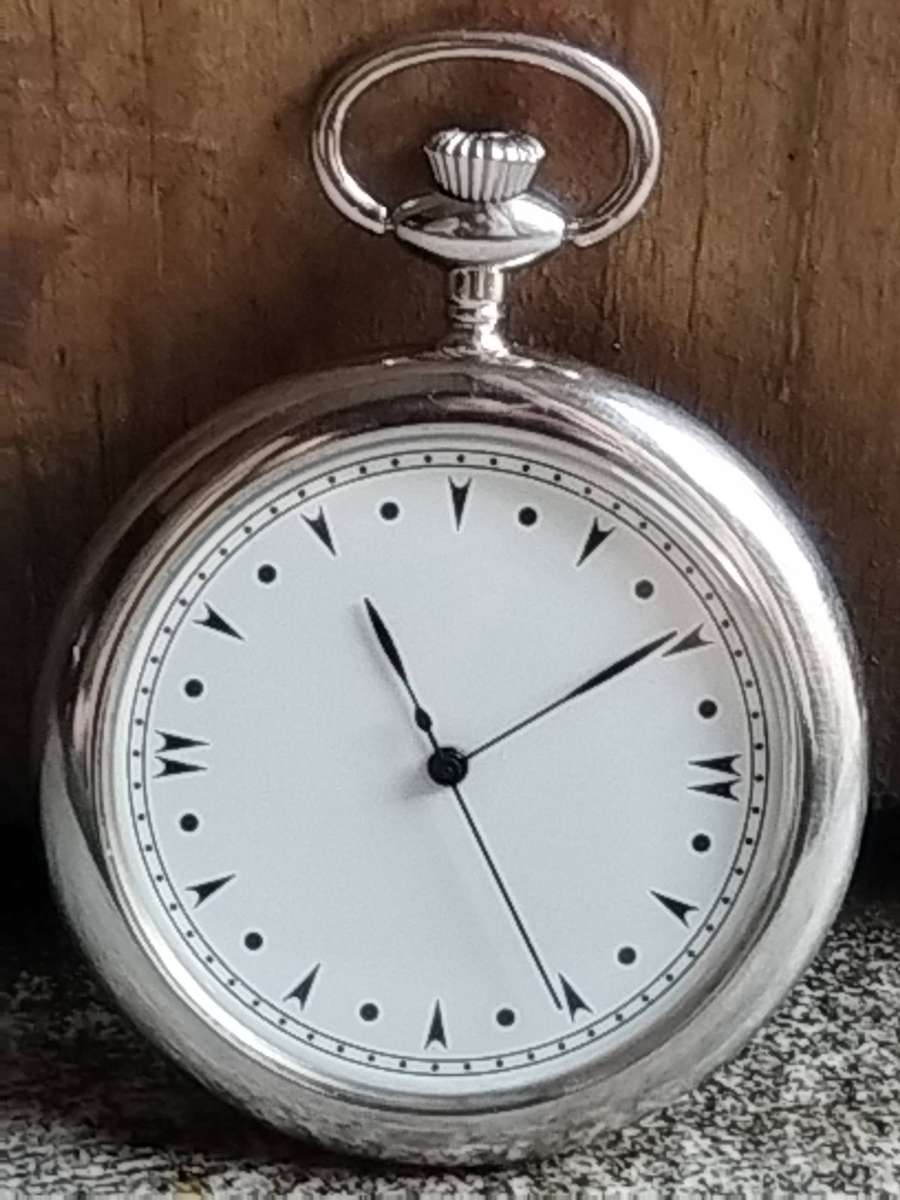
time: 11:09
